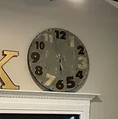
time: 5:57
